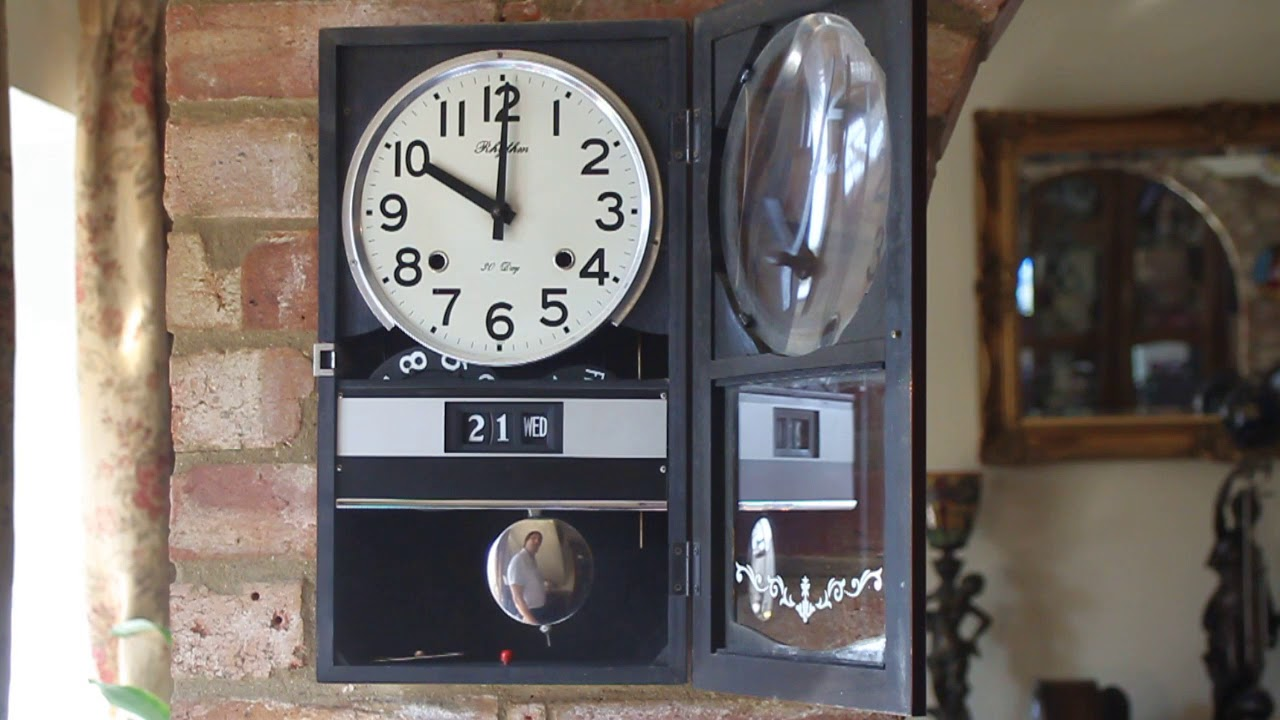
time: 10:00
